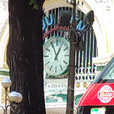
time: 12:55
